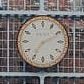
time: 7:10
